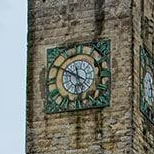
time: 11:49
